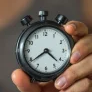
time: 4:39
